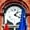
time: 1:18
